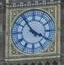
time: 3:54
